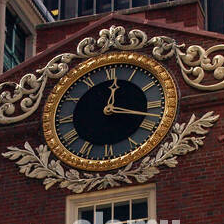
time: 12:17
